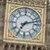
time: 7:12
